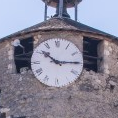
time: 10:14
